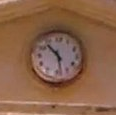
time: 10:28
